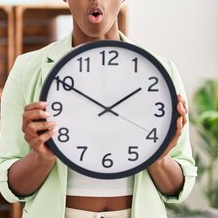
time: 1:50
